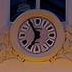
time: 6:54
